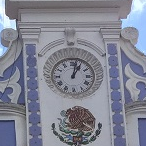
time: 1:02
